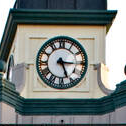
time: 5:15
